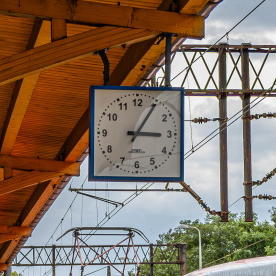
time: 3:05
